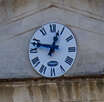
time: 12:47
